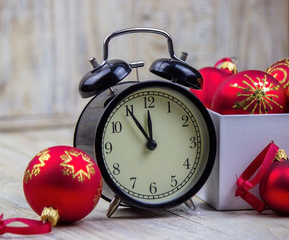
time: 11:54
